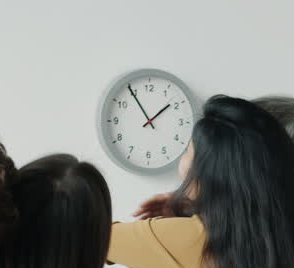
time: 1:54
